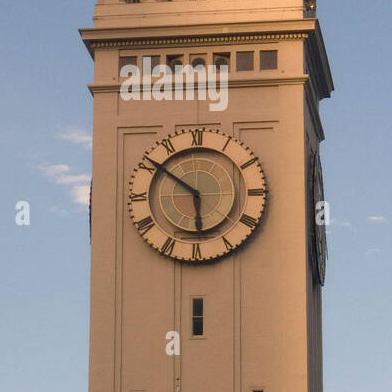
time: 5:51
